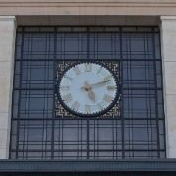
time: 5:11
